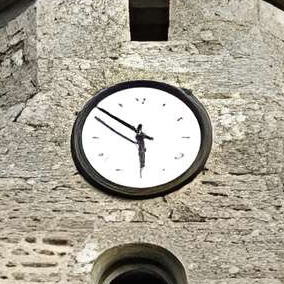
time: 5:51
